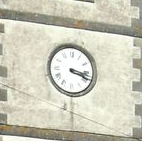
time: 3:18
